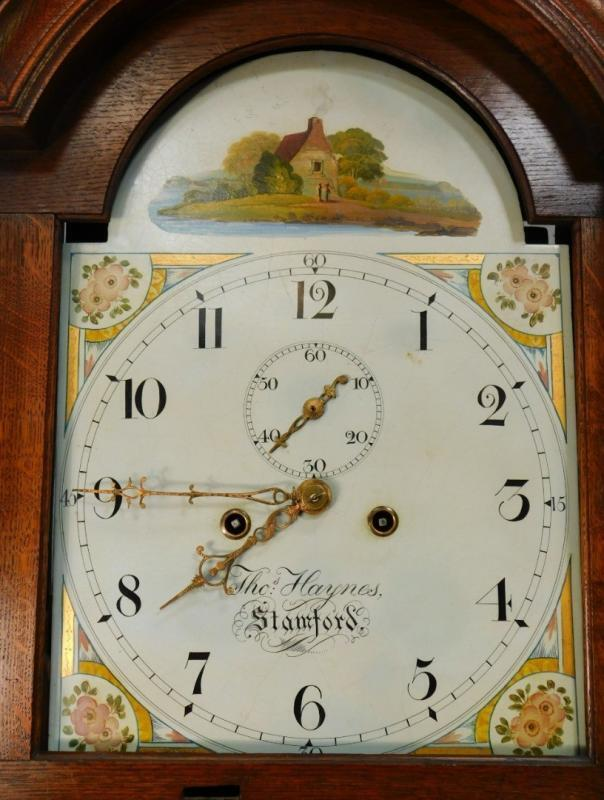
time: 7:45
